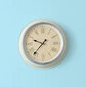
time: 9:36
